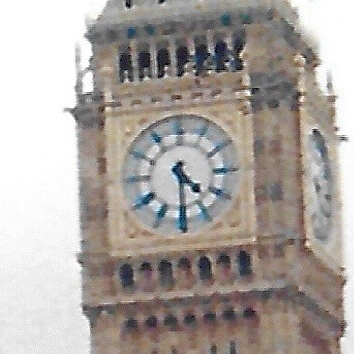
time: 4:29
